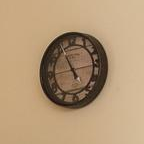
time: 10:55
